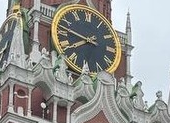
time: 7:46
